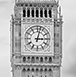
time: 3:02
